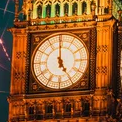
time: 4:59
